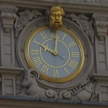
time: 10:01
